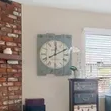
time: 12:10
